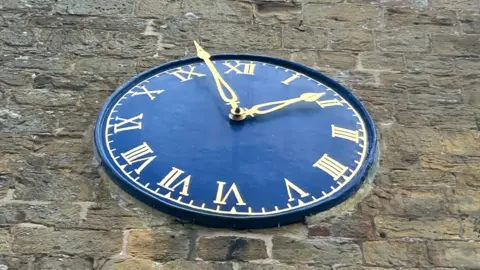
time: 1:57
